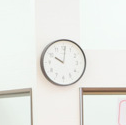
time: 10:00
